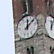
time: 12:07
